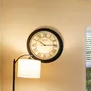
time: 10:14
